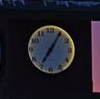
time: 7:05
